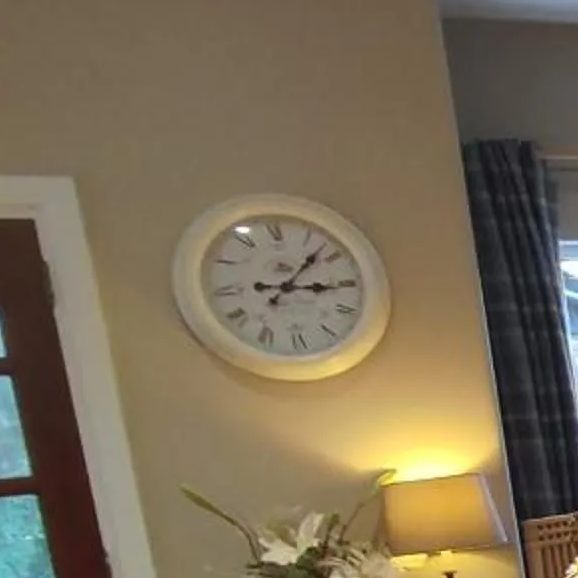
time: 3:07
